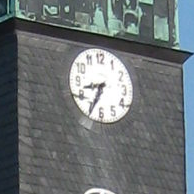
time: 8:34
